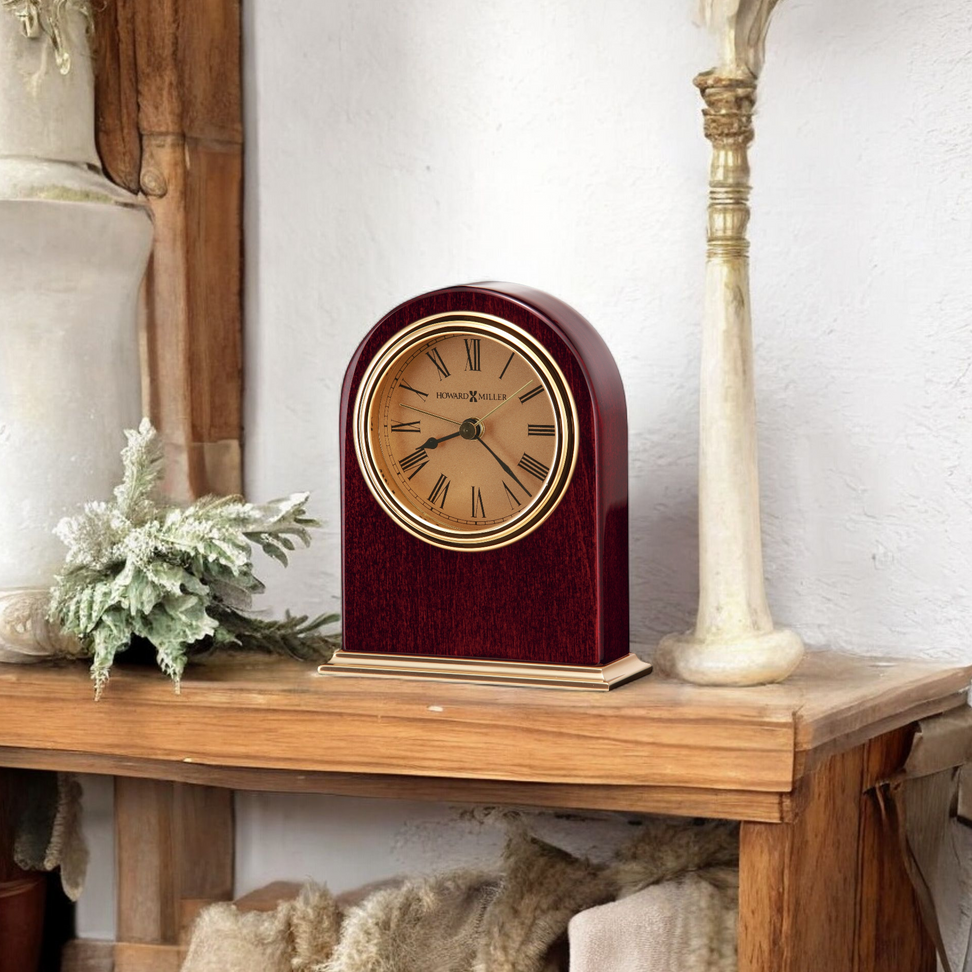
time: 8:21
